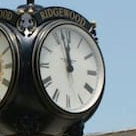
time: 11:57
